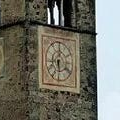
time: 5:59
